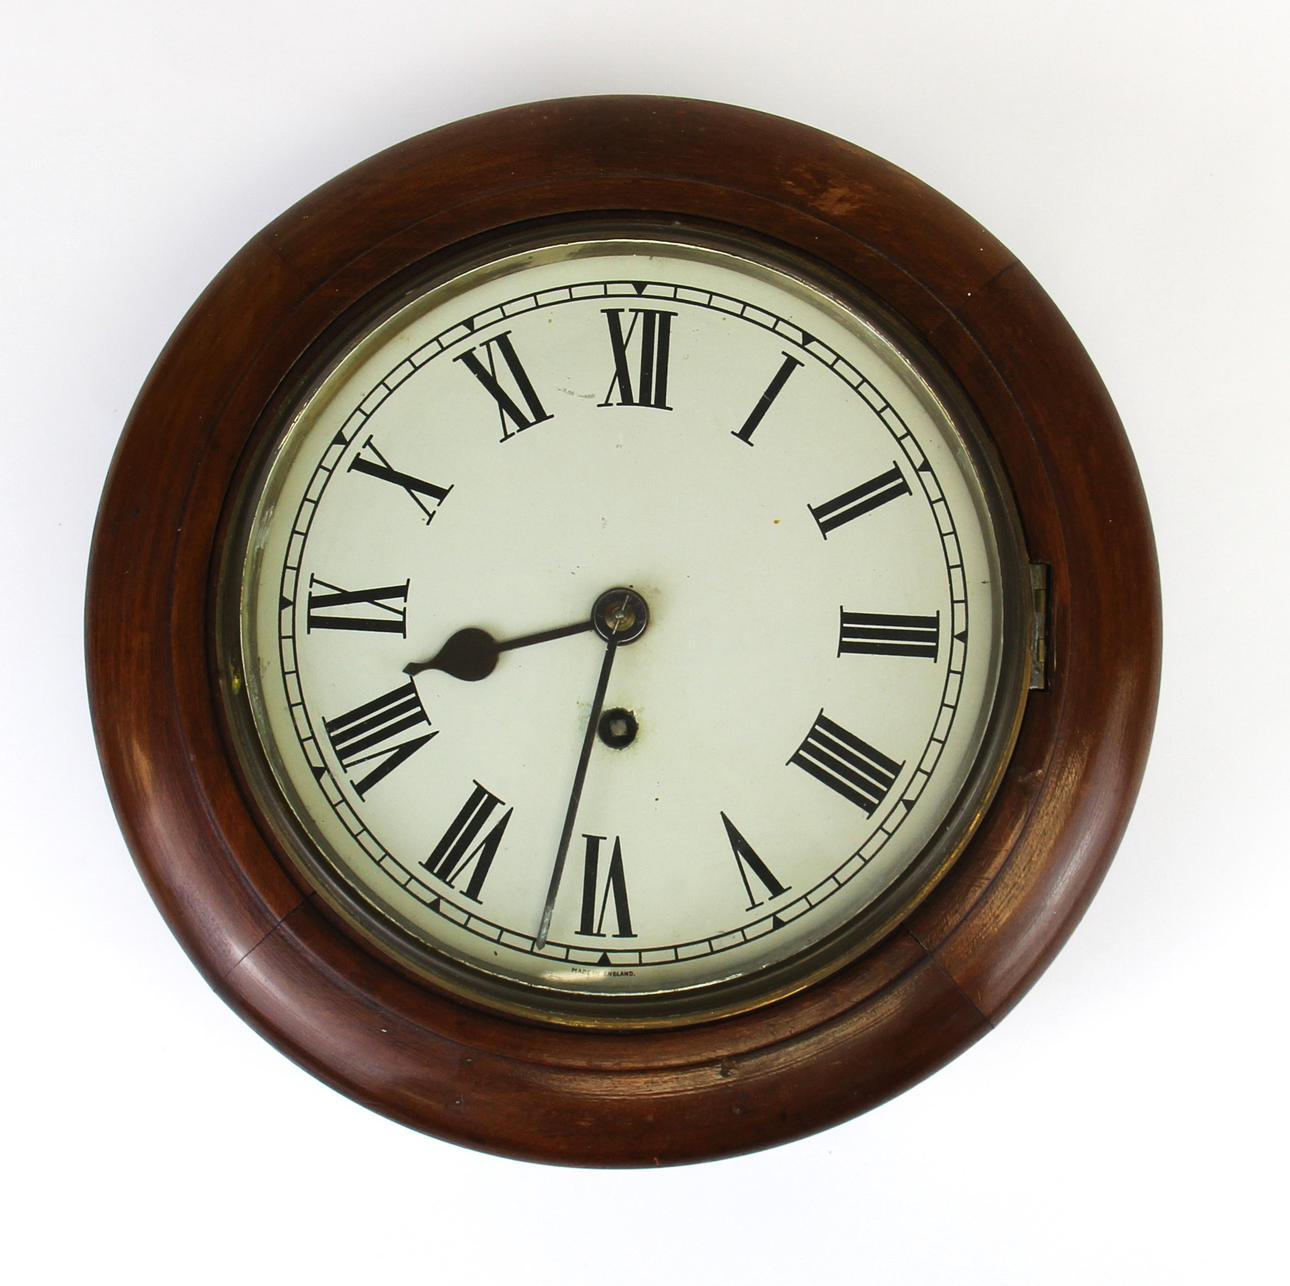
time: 8:31
